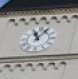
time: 11:07
